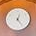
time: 12:24
